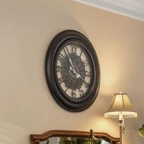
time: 11:20
